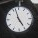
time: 4:57
